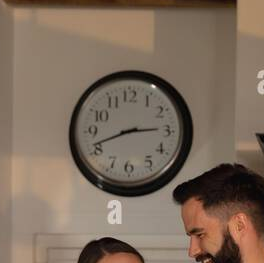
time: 2:41
